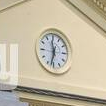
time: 11:32
